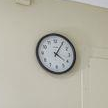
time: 4:05
